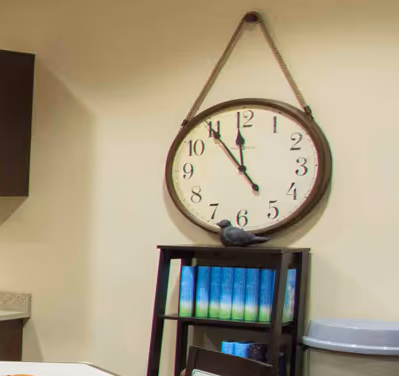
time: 4:54
